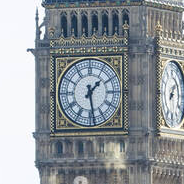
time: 1:28
